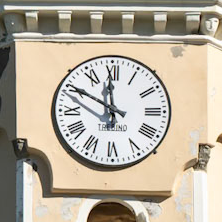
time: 11:50
